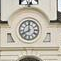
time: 7:59
